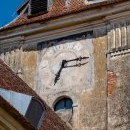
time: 7:15
